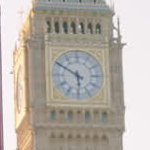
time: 5:50
